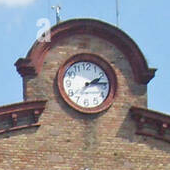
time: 2:14
